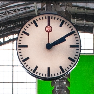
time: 2:00
